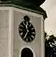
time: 11:35
